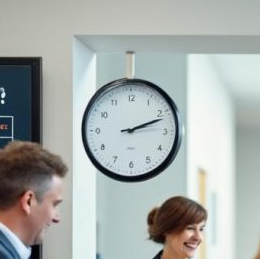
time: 2:11
